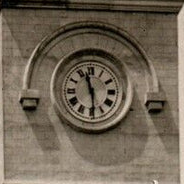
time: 11:29
